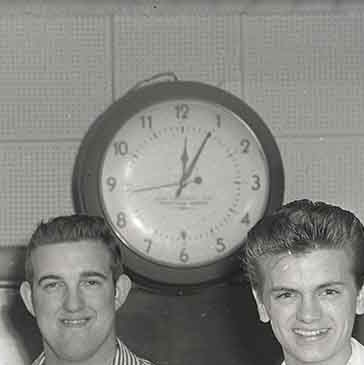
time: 12:04
